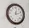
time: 12:11
